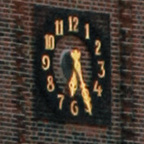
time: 6:26
